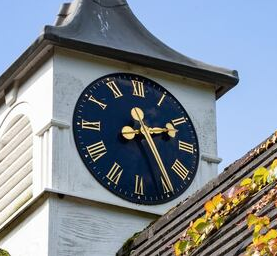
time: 2:24
